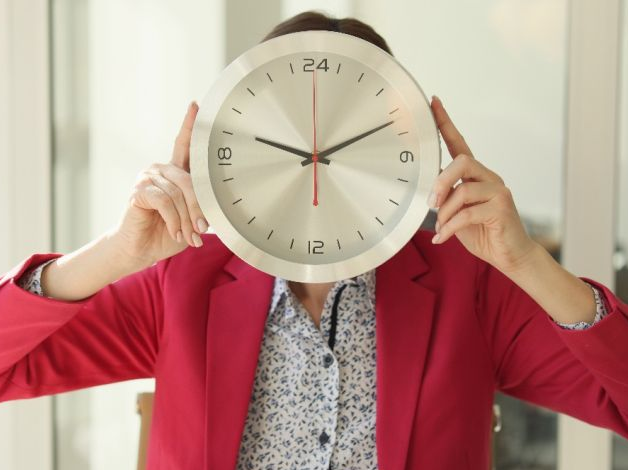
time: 9:11
